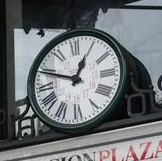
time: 12:48
